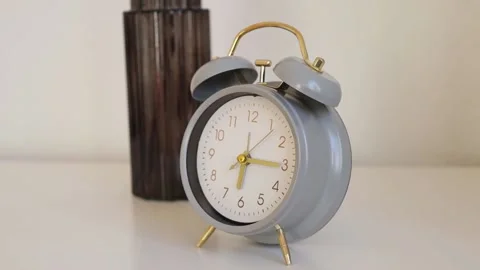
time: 6:15
